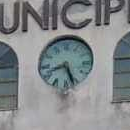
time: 8:26
